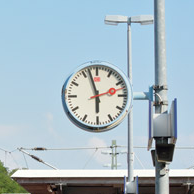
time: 5:57
